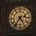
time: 4:36
